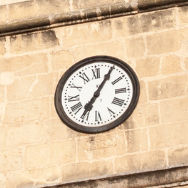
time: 7:05
